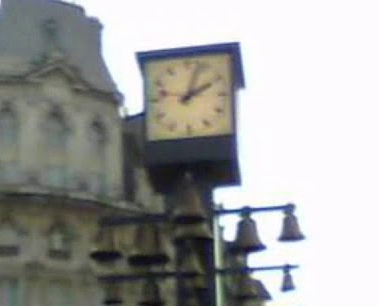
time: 2:03
